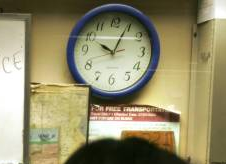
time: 10:04
